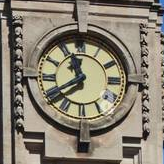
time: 11:39
